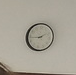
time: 1:43
